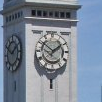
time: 1:51
